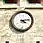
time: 4:13
